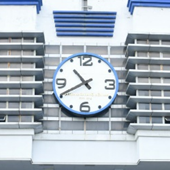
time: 10:40
